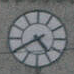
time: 4:40
